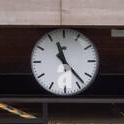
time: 11:23
